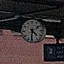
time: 4:31
